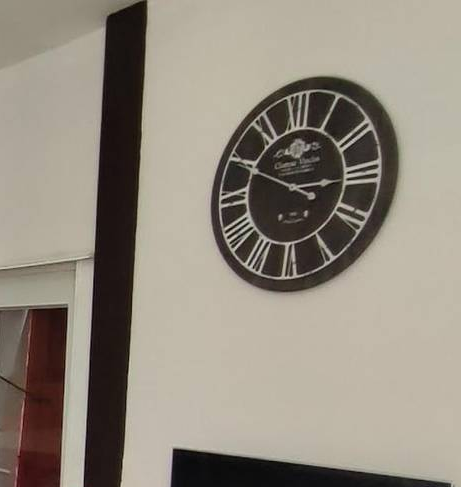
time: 2:49
